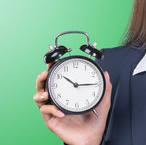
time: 10:15
